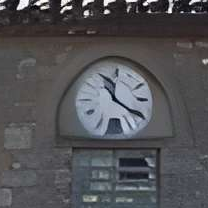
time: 11:20
